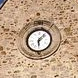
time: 1:28
